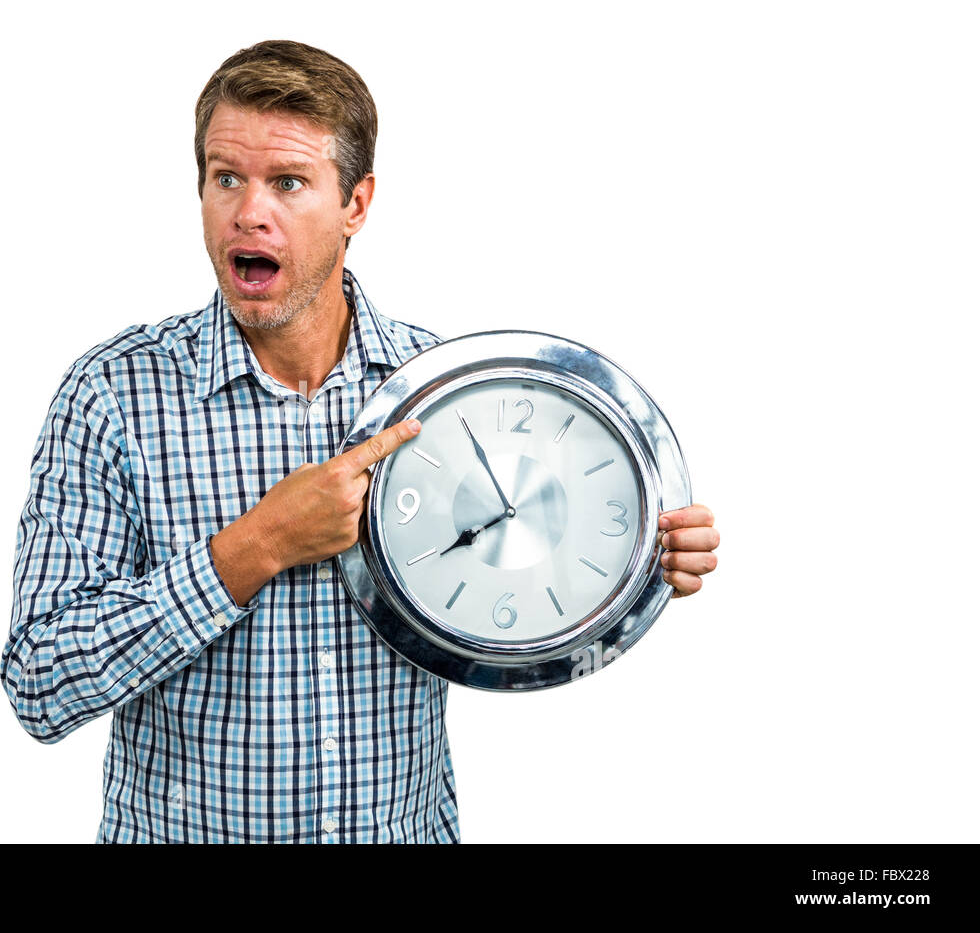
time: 7:54
